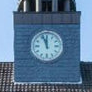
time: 11:56
